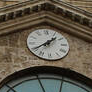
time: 1:39
